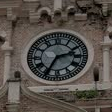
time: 2:34
